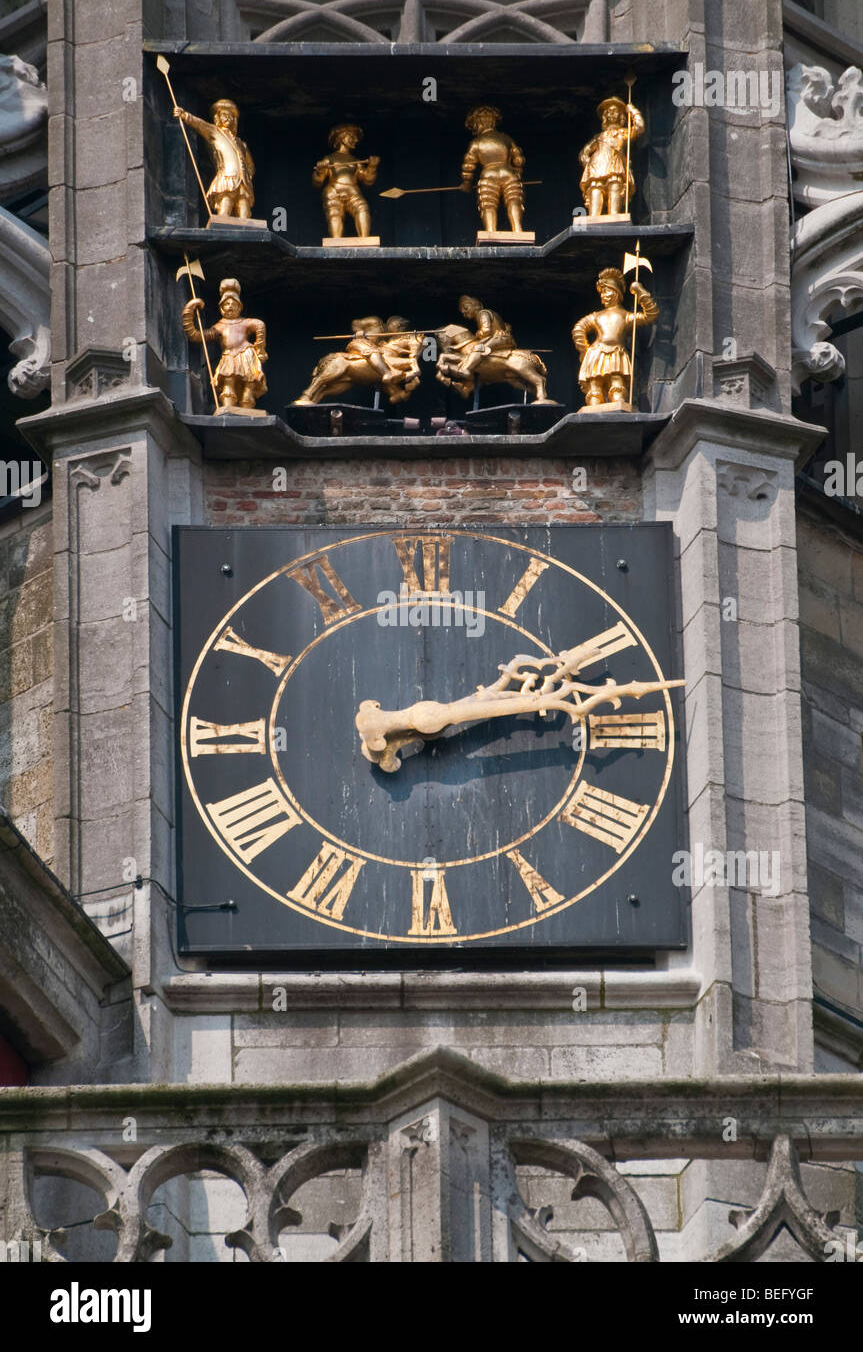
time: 2:13
